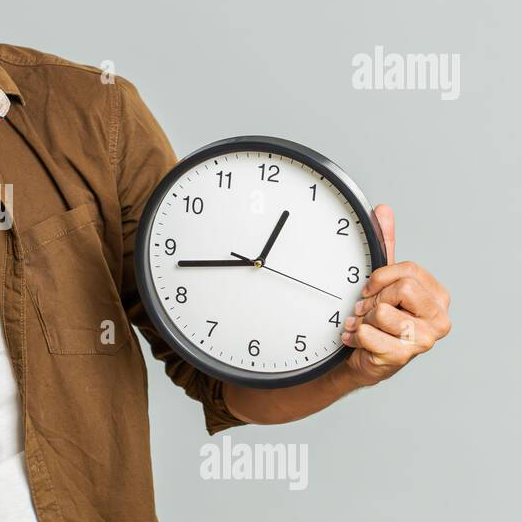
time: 12:43
